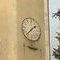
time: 1:37
